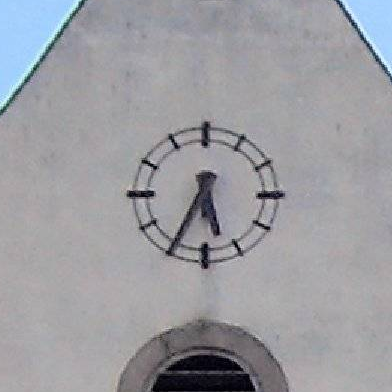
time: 5:34
